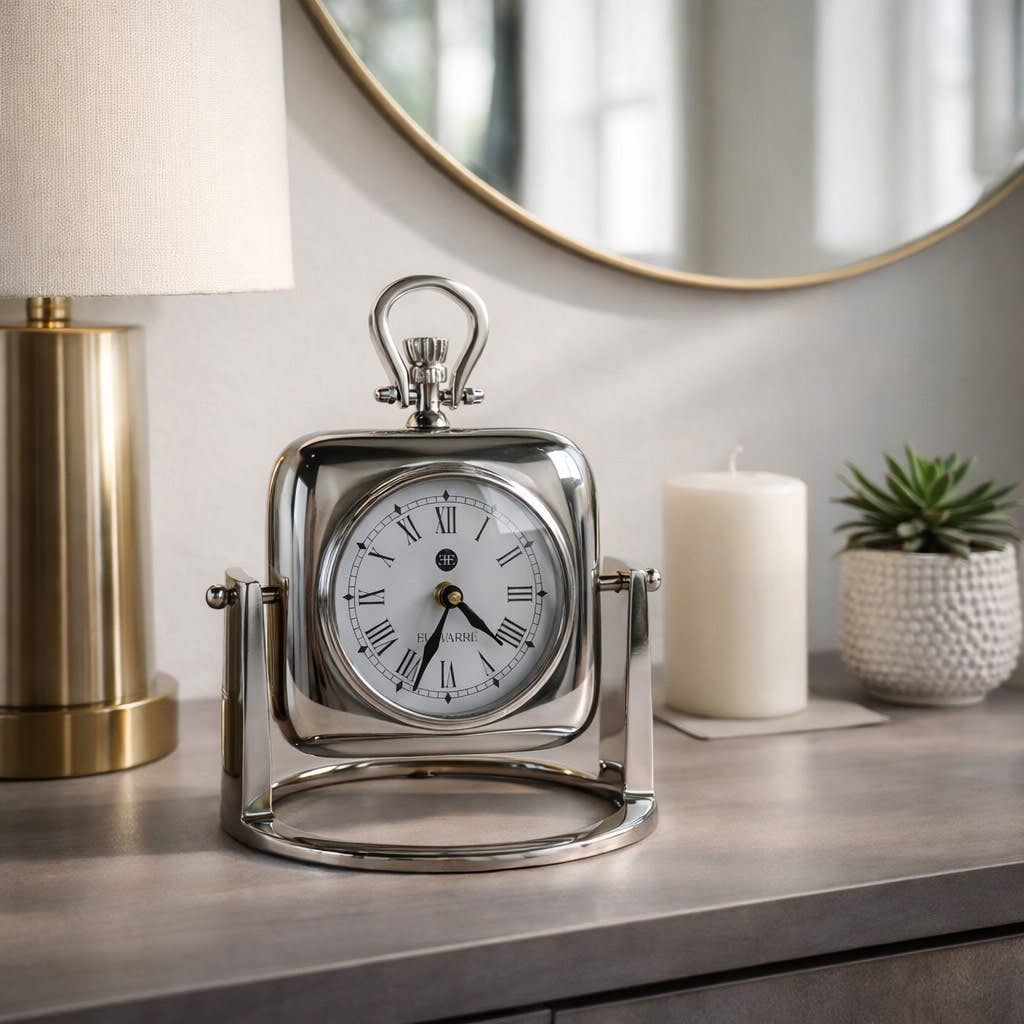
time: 4:33
